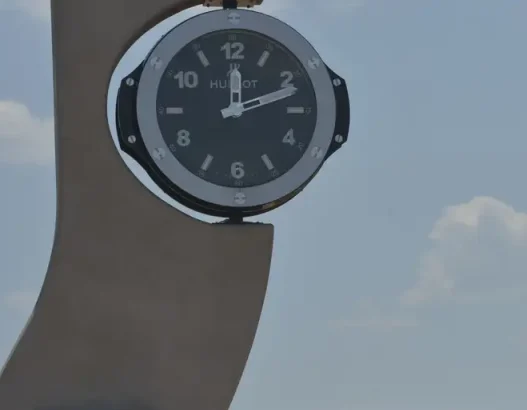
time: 12:11
